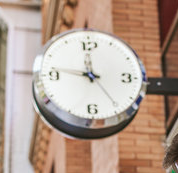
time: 11:46
